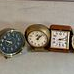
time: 12:07
